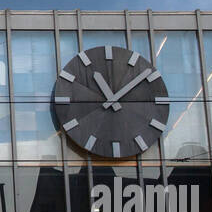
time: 11:08
